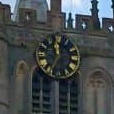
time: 11:35
